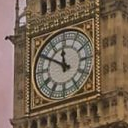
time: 11:50
